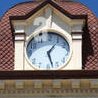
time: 1:27
